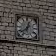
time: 12:38
